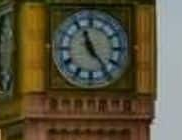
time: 11:23
